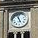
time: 4:57
